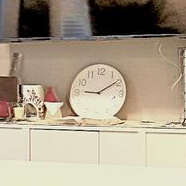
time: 9:09
